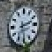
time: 2:29
